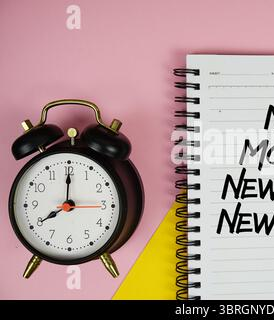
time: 8:00
